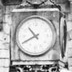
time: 10:40
